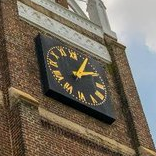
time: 2:04
